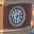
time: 6:13
